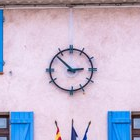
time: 2:52
